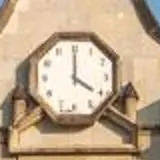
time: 4:00
